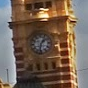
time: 1:32
